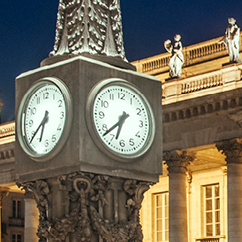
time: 6:38
